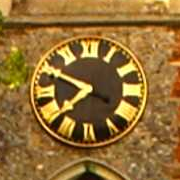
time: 7:49
